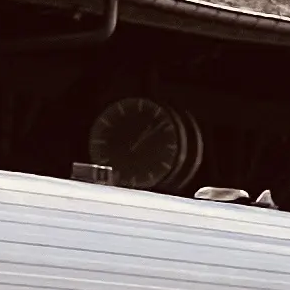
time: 1:07
